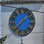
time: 1:37
